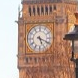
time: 5:18
